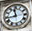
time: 11:42
